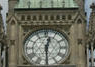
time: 12:29
